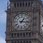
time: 1:16
